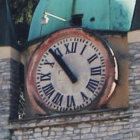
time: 10:53
